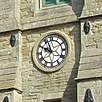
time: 9:57
